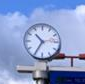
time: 10:35
